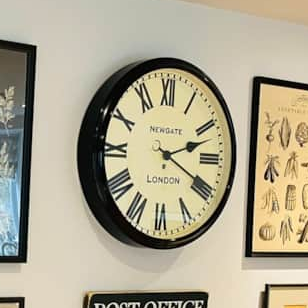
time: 2:19
